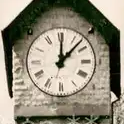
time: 12:07
